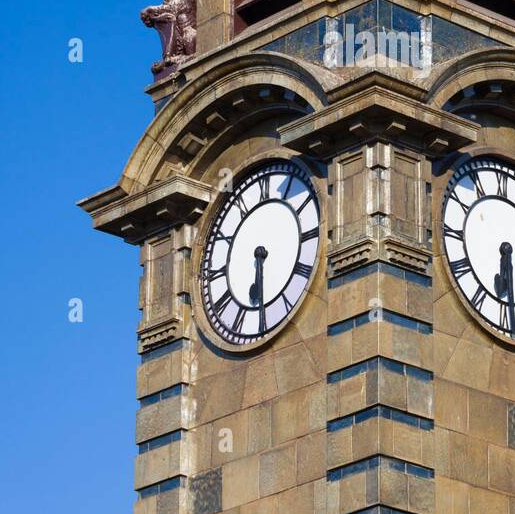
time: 6:29
